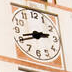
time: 2:42
